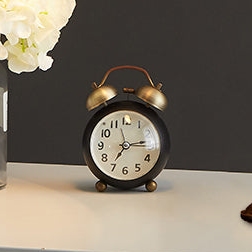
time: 7:14
